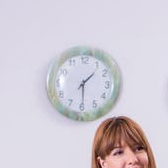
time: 1:29
